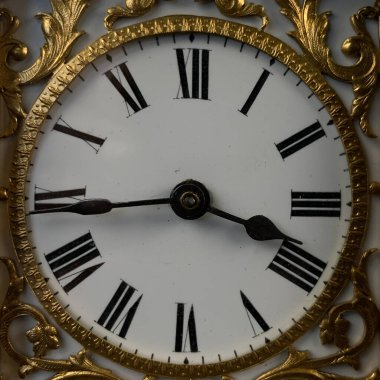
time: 3:43
